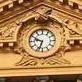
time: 9:33
